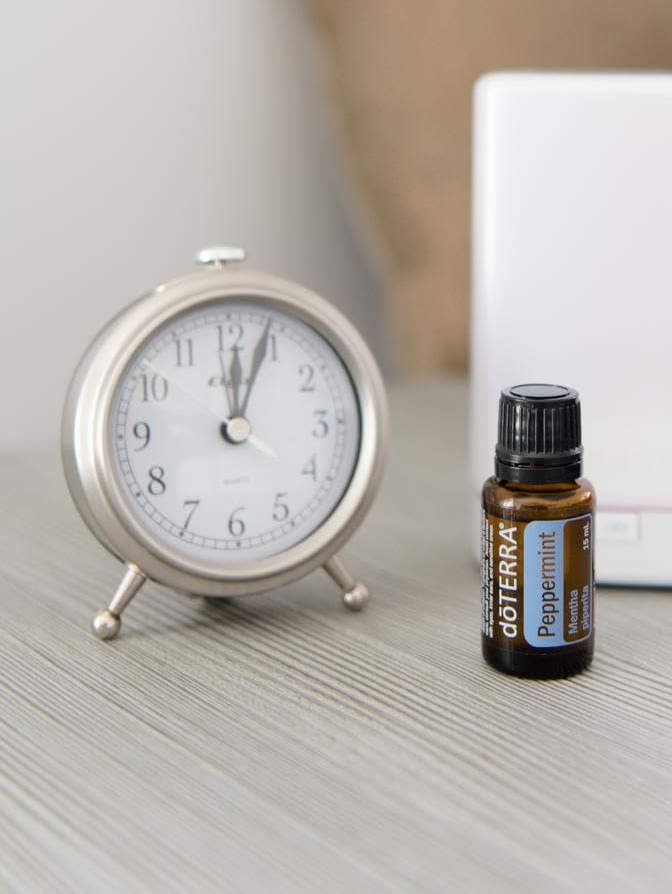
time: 12:03
